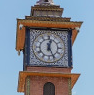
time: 12:25
